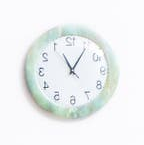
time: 11:05
